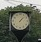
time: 1:07
